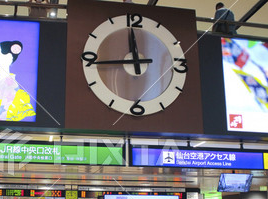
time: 11:44
